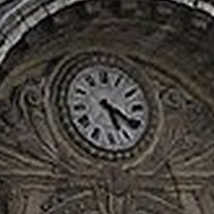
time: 5:20
